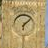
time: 6:08
